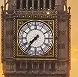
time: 7:36
